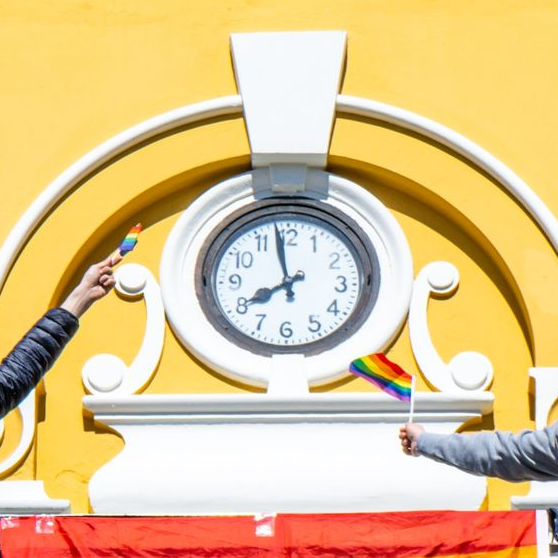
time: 7:58
